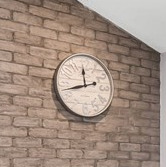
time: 11:42
